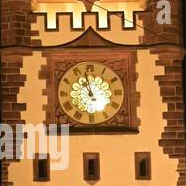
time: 10:58
